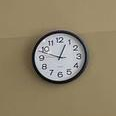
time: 12:48
